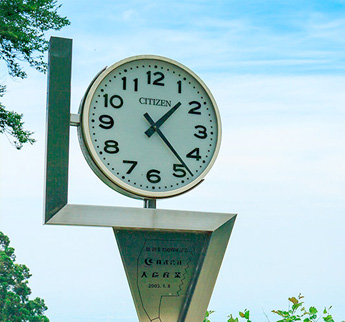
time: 1:23
